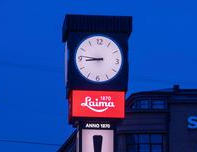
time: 8:46
